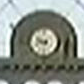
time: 9:42
